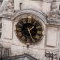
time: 1:26
